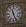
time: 11:26
